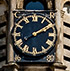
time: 2:09
